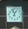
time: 12:57
